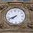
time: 7:41
